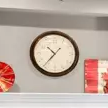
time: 10:36
